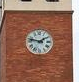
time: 1:46
